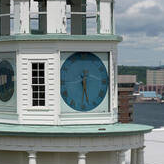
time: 5:30
